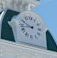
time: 9:42
